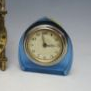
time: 2:58
